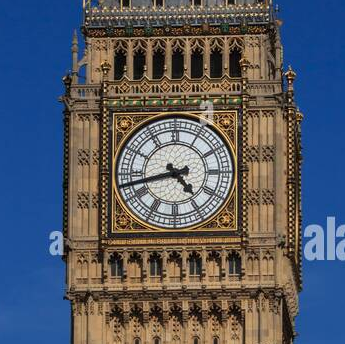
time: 4:42
